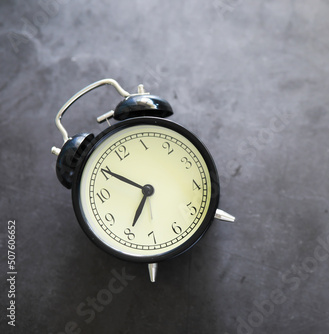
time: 6:50
